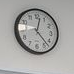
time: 12:22
